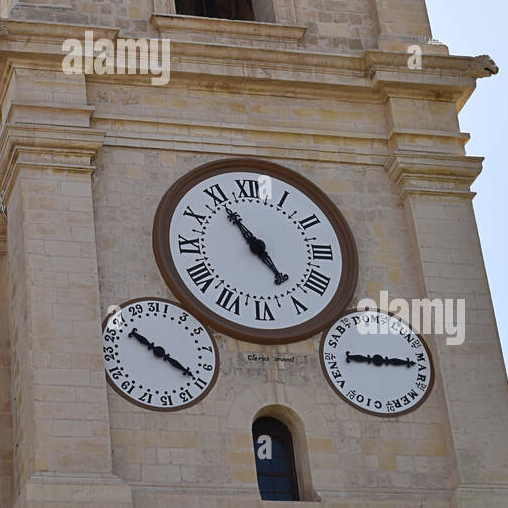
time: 4:54
